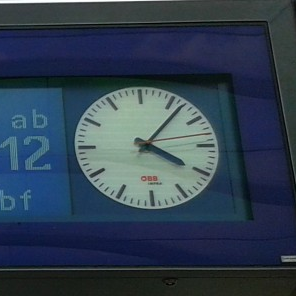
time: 4:06
